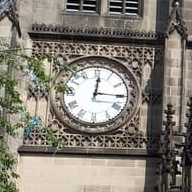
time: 12:15
